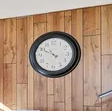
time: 10:49
